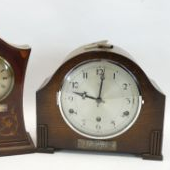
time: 9:01
